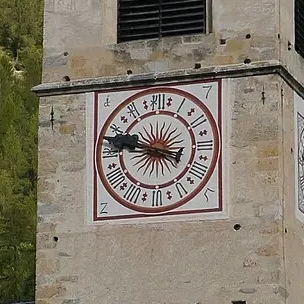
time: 9:47
